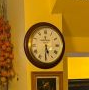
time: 5:30
